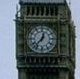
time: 12:37
